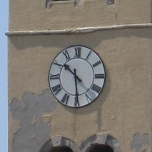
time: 10:29
